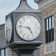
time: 4:46
